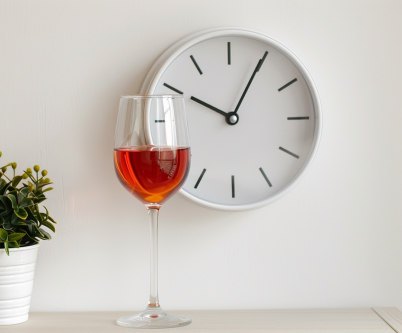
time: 10:04
